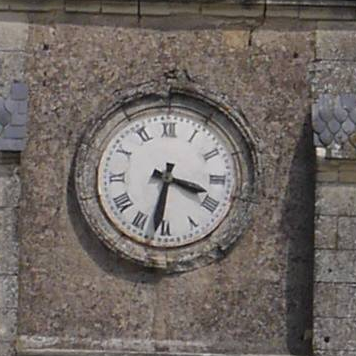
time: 3:32
